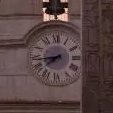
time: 7:43
